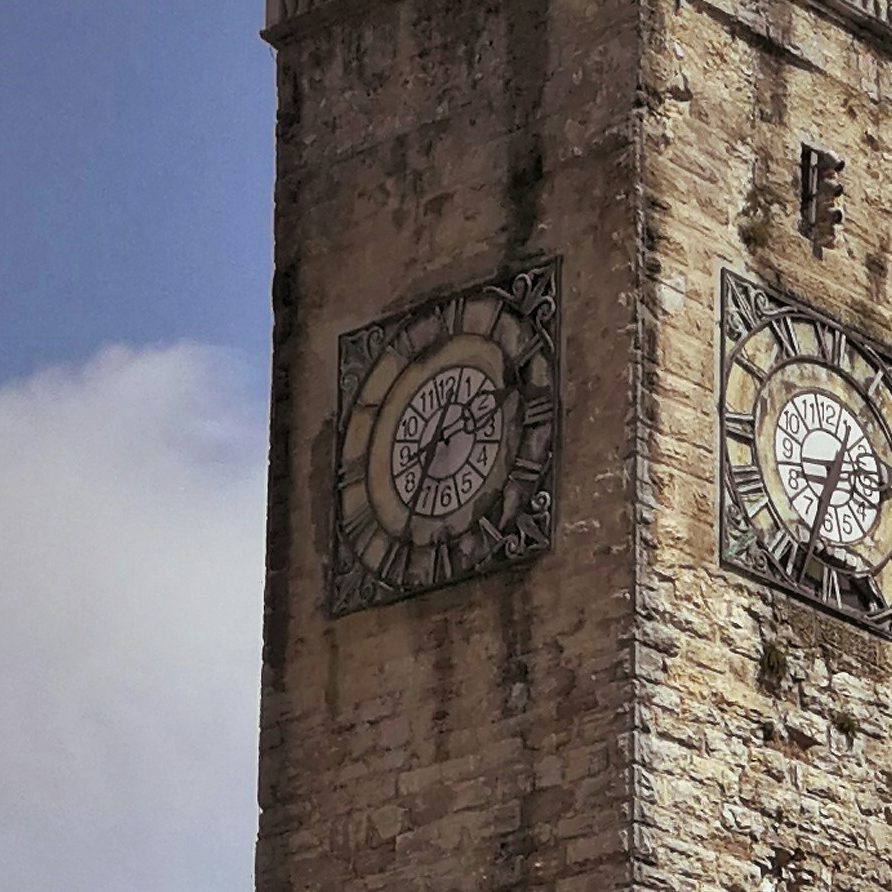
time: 12:34
